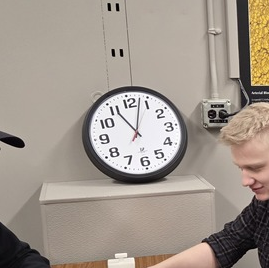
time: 11:02
